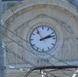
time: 2:12
